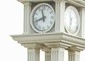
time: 11:42
